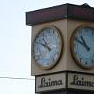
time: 10:49
